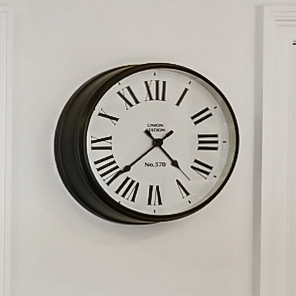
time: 4:38
